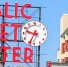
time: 9:34
